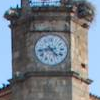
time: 4:43
